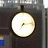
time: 7:13
